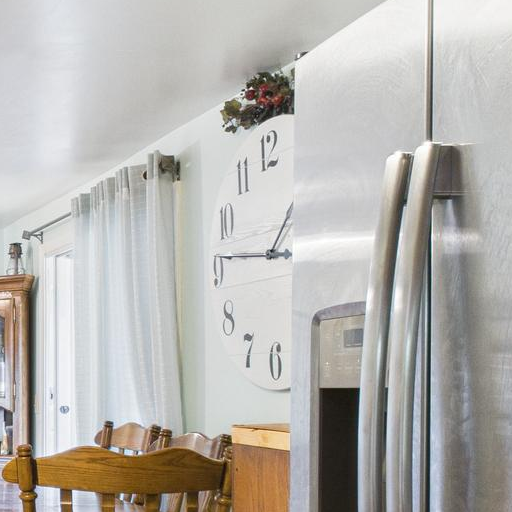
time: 12:46
